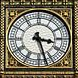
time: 3:27
